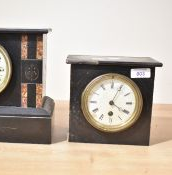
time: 4:04
